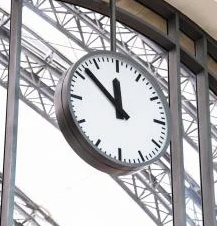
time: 11:52
